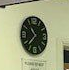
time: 10:37
